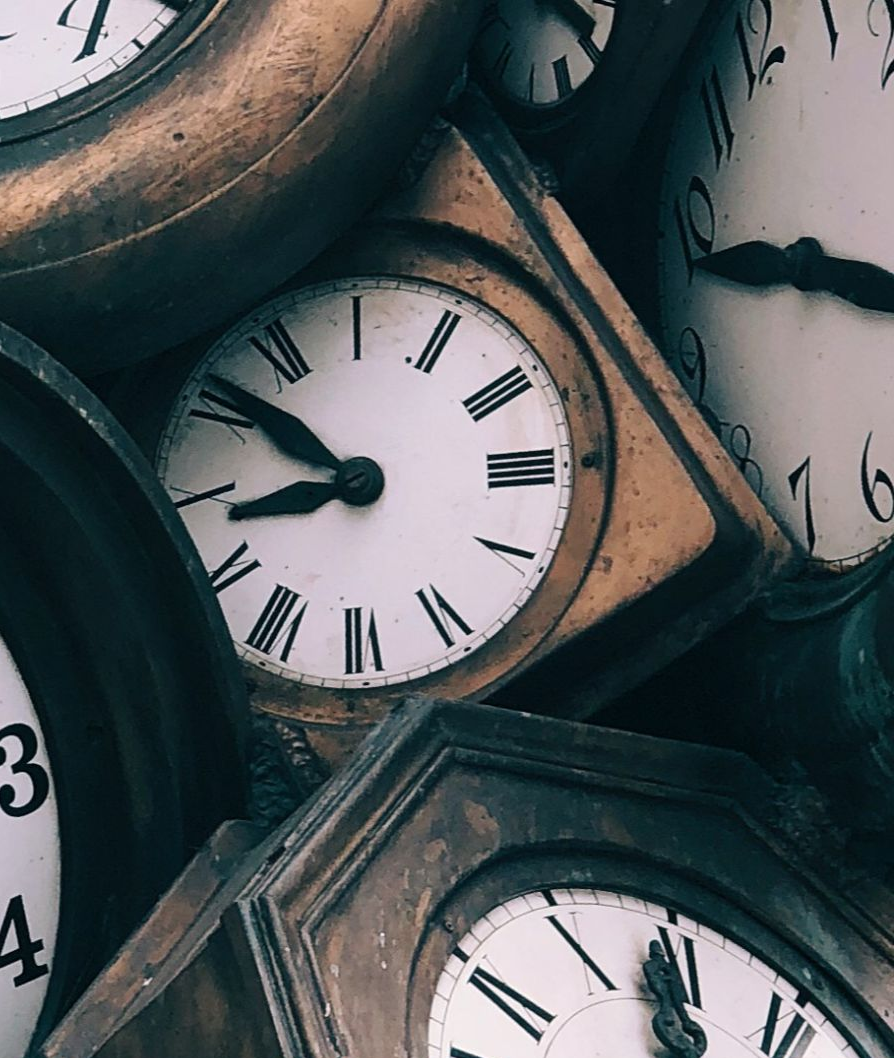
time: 3:48
